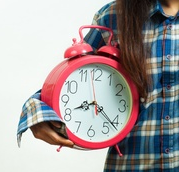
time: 8:21
